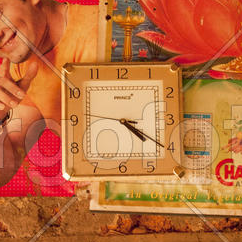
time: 4:20
